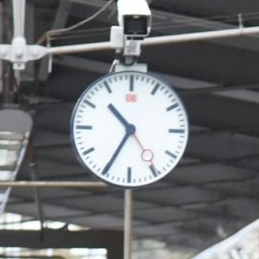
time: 10:34
